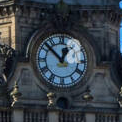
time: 12:52
